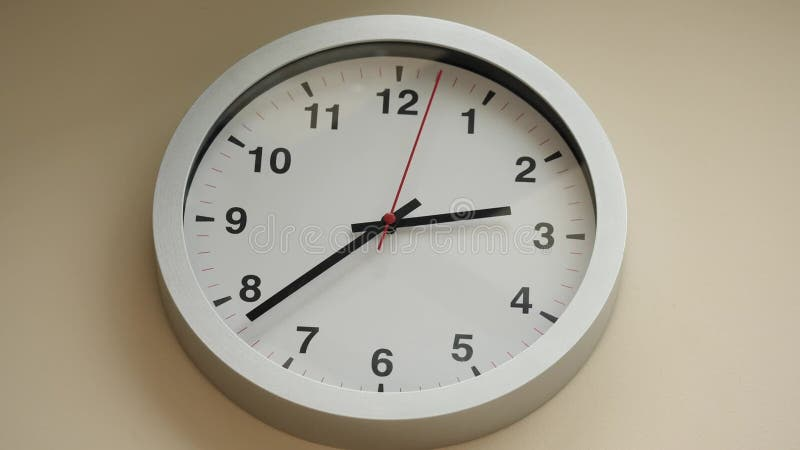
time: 2:38
